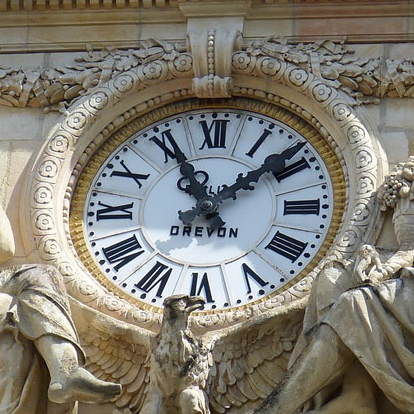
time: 11:08
